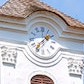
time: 1:36
